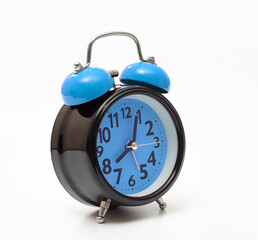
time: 8:03
